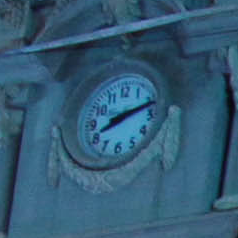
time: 8:12
